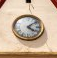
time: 4:08
